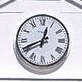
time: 12:41
